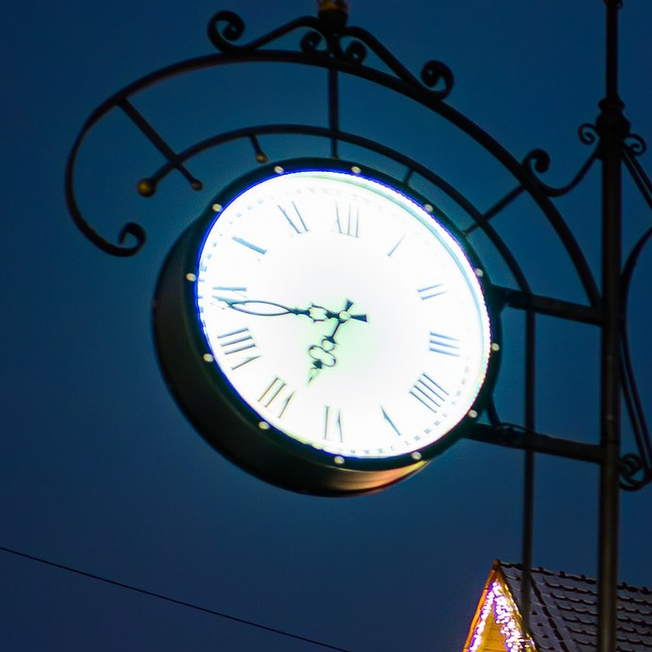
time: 6:43
